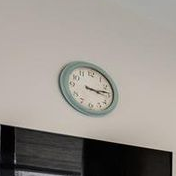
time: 3:13
